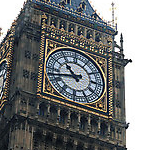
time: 10:42
